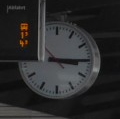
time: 3:14
